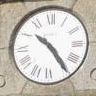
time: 10:24
